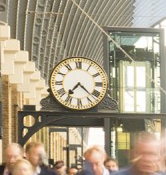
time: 7:22
